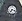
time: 7:17
